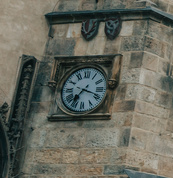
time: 7:18
